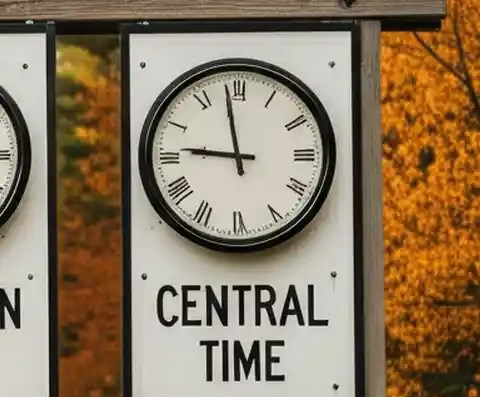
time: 8:58
